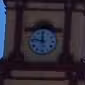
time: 11:47
